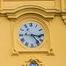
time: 3:23
